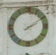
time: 2:09
